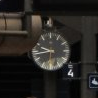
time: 9:43
